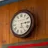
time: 5:14
